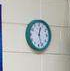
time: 12:26
